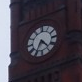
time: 4:34
